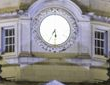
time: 5:34
